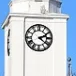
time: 2:21
